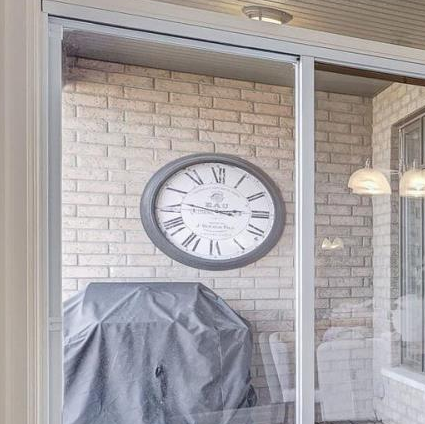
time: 2:46
